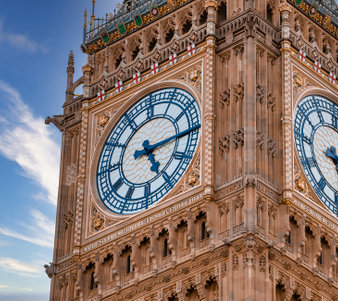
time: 5:14
